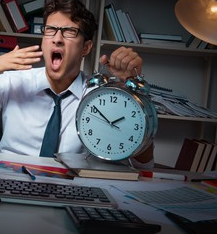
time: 1:51
